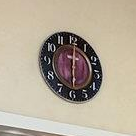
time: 6:01
